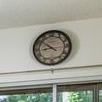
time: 8:51
